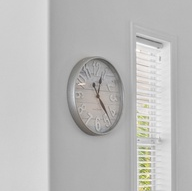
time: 12:23
